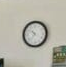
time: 10:37
